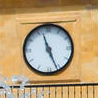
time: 11:26
